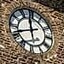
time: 11:42
